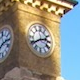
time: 2:40
